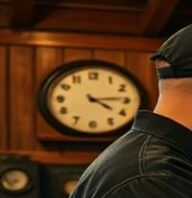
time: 4:14
